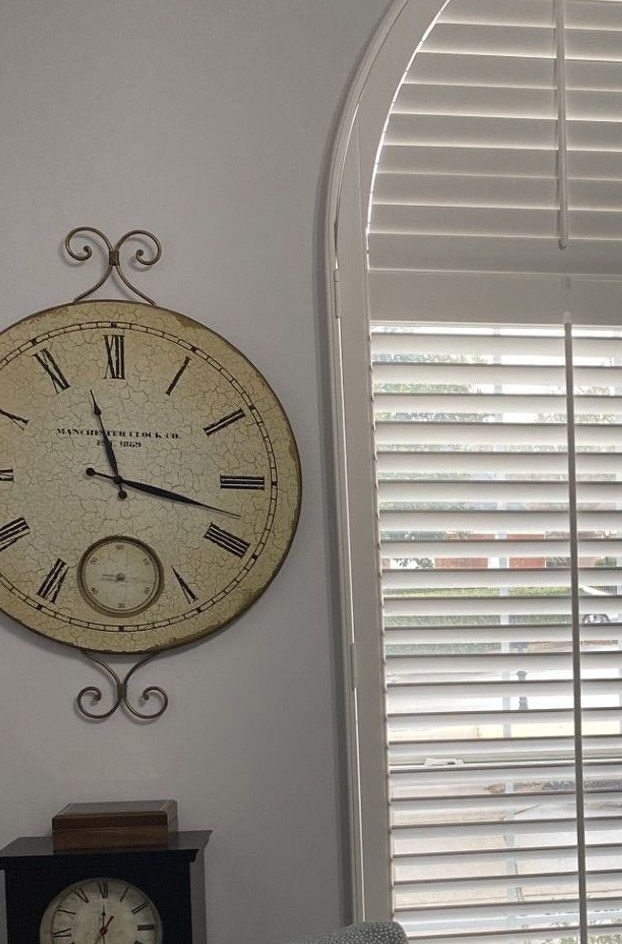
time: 11:17
